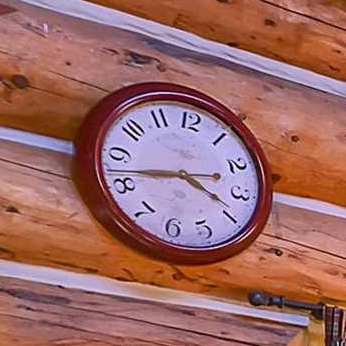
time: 3:42
